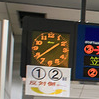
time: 1:38
